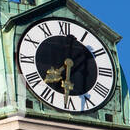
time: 6:08
